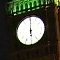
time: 6:00
